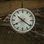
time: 10:21
